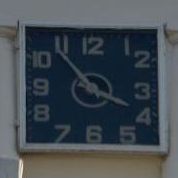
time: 3:53
